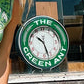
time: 10:27
